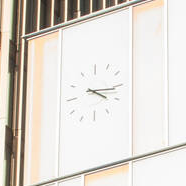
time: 4:16
